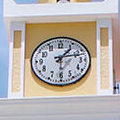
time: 1:12
